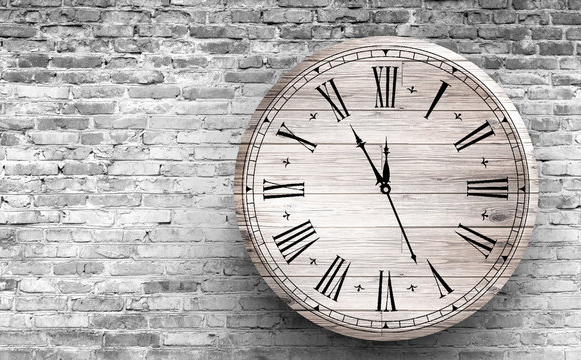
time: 11:55
